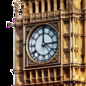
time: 3:00
